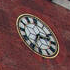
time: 2:34
